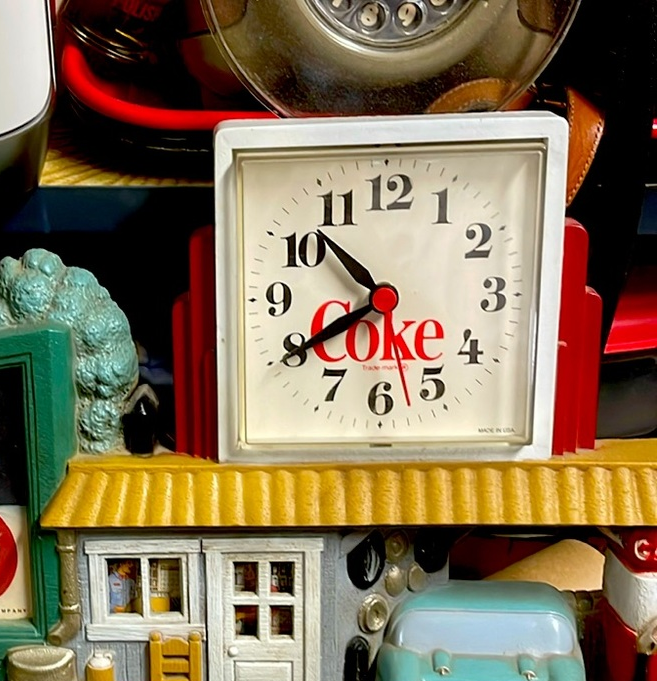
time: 10:40
